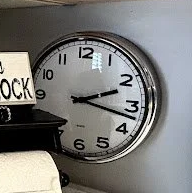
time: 2:17
